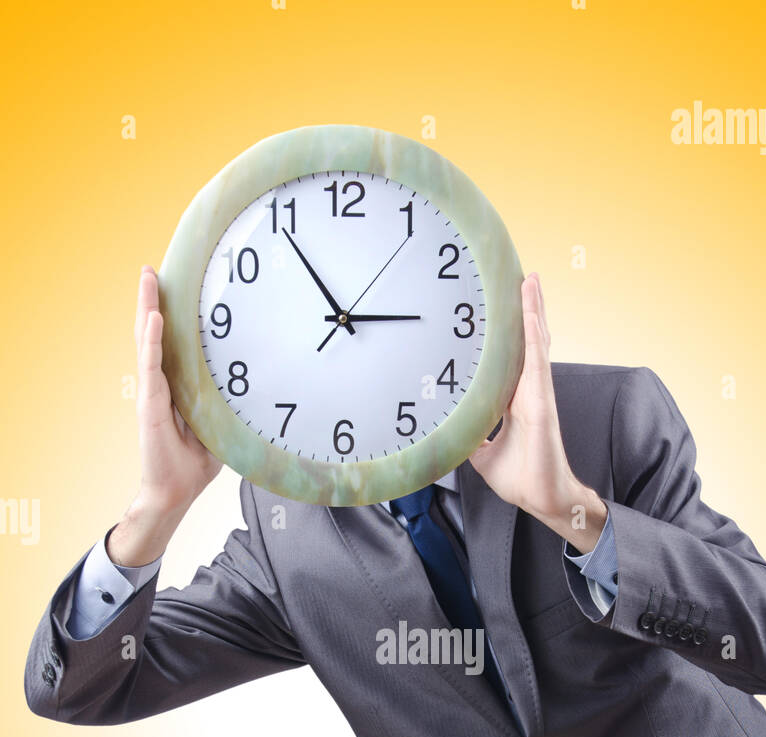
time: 2:54
